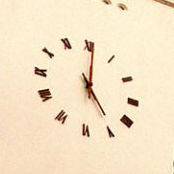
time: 5:00
